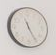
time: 11:25
